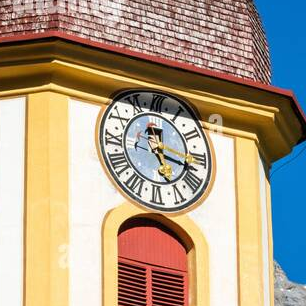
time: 5:17
